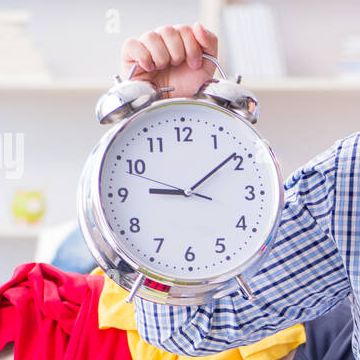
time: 9:09
